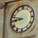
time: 8:47
